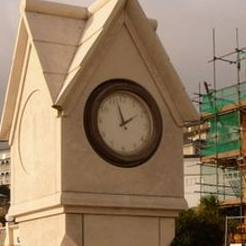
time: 1:57
